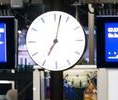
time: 7:02
